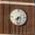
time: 7:32
